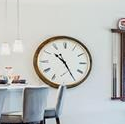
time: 10:24
